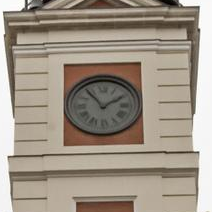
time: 1:53
